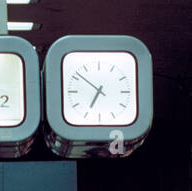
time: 6:51
